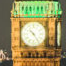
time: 10:24
